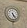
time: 5:23
